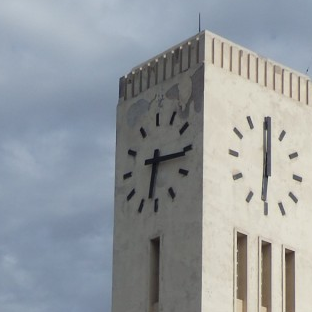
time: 6:15
